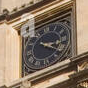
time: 3:20
